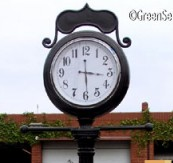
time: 3:29
